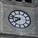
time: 7:47
